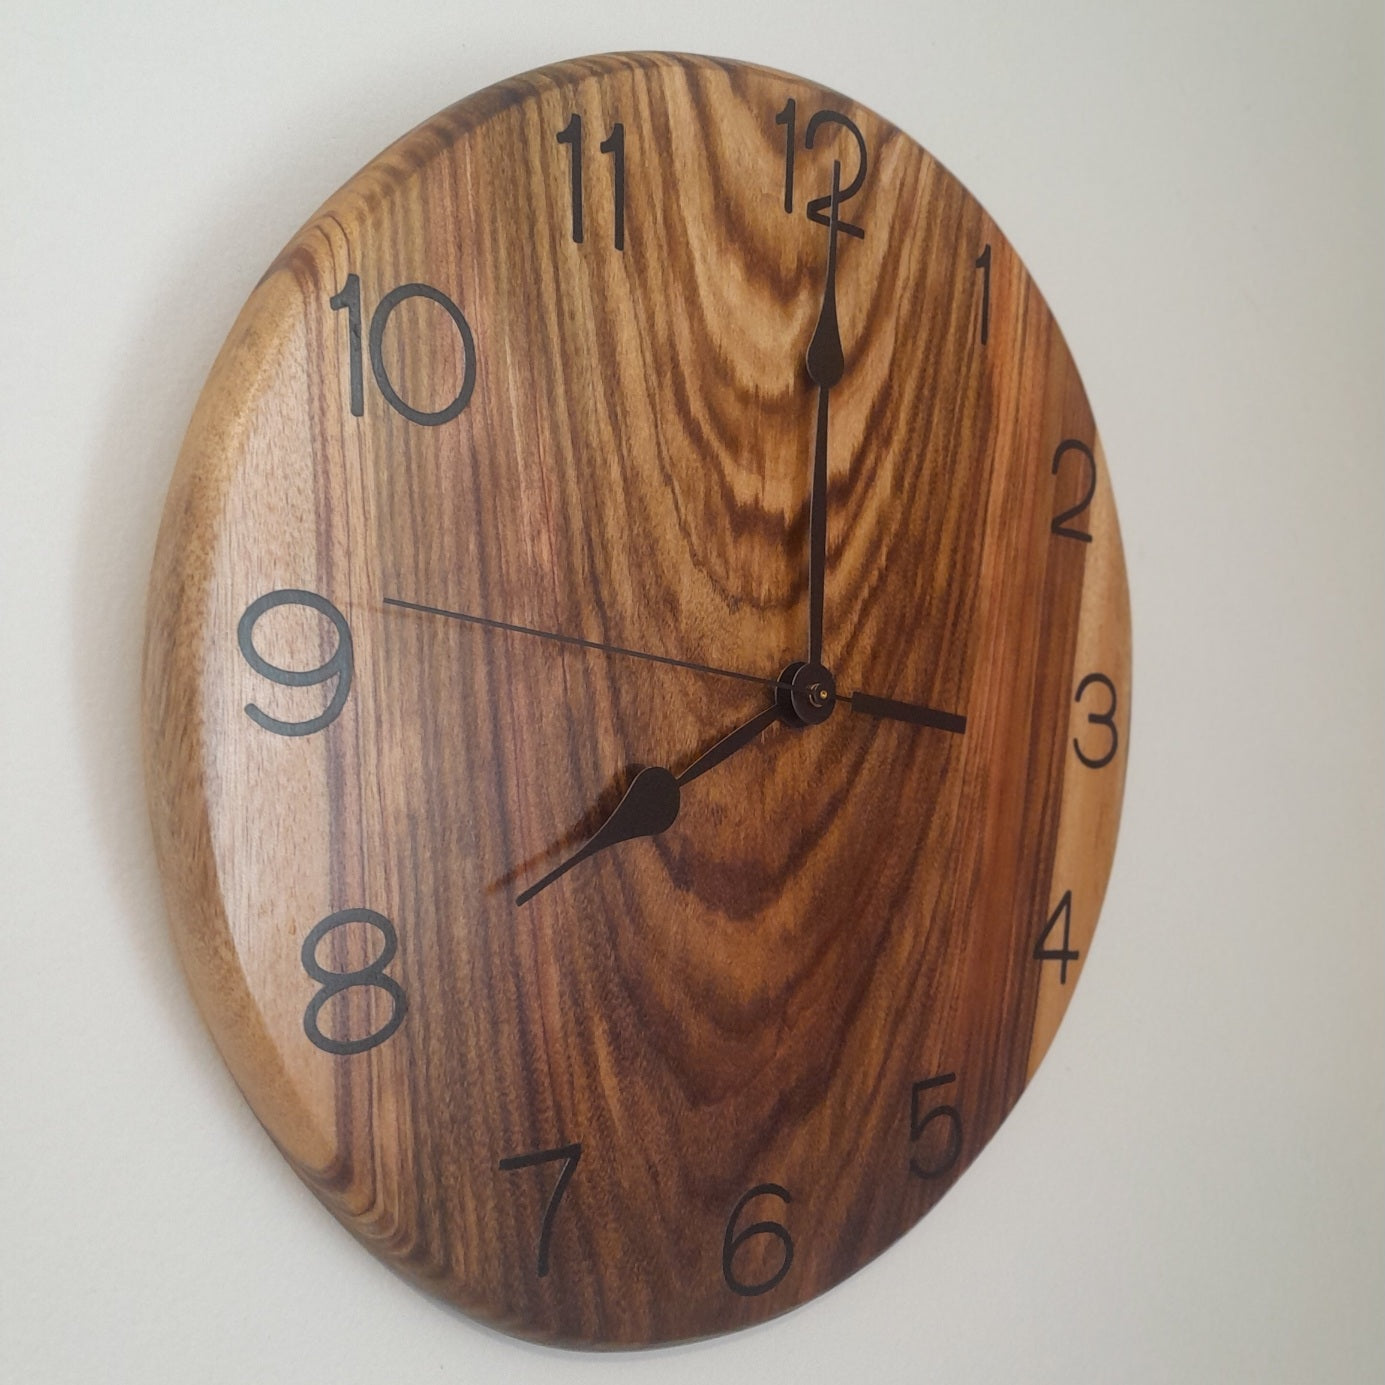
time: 8:00
